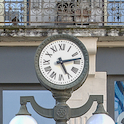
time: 5:13
